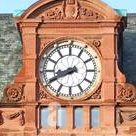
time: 8:40
